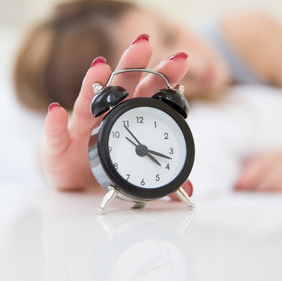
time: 4:17
